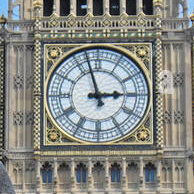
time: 2:57
